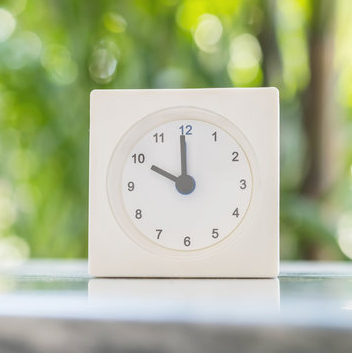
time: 9:59
